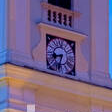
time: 8:33
